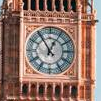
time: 12:54
